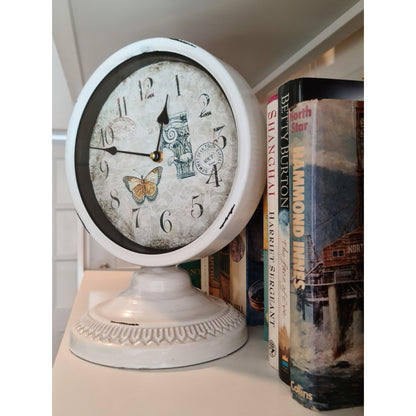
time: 12:47
